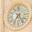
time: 7:24
